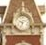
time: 9:33
